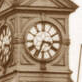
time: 3:33
